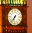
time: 6:36
